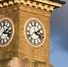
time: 2:18
